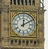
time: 12:10
